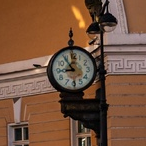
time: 8:54
